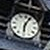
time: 6:04
